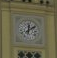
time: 12:09
